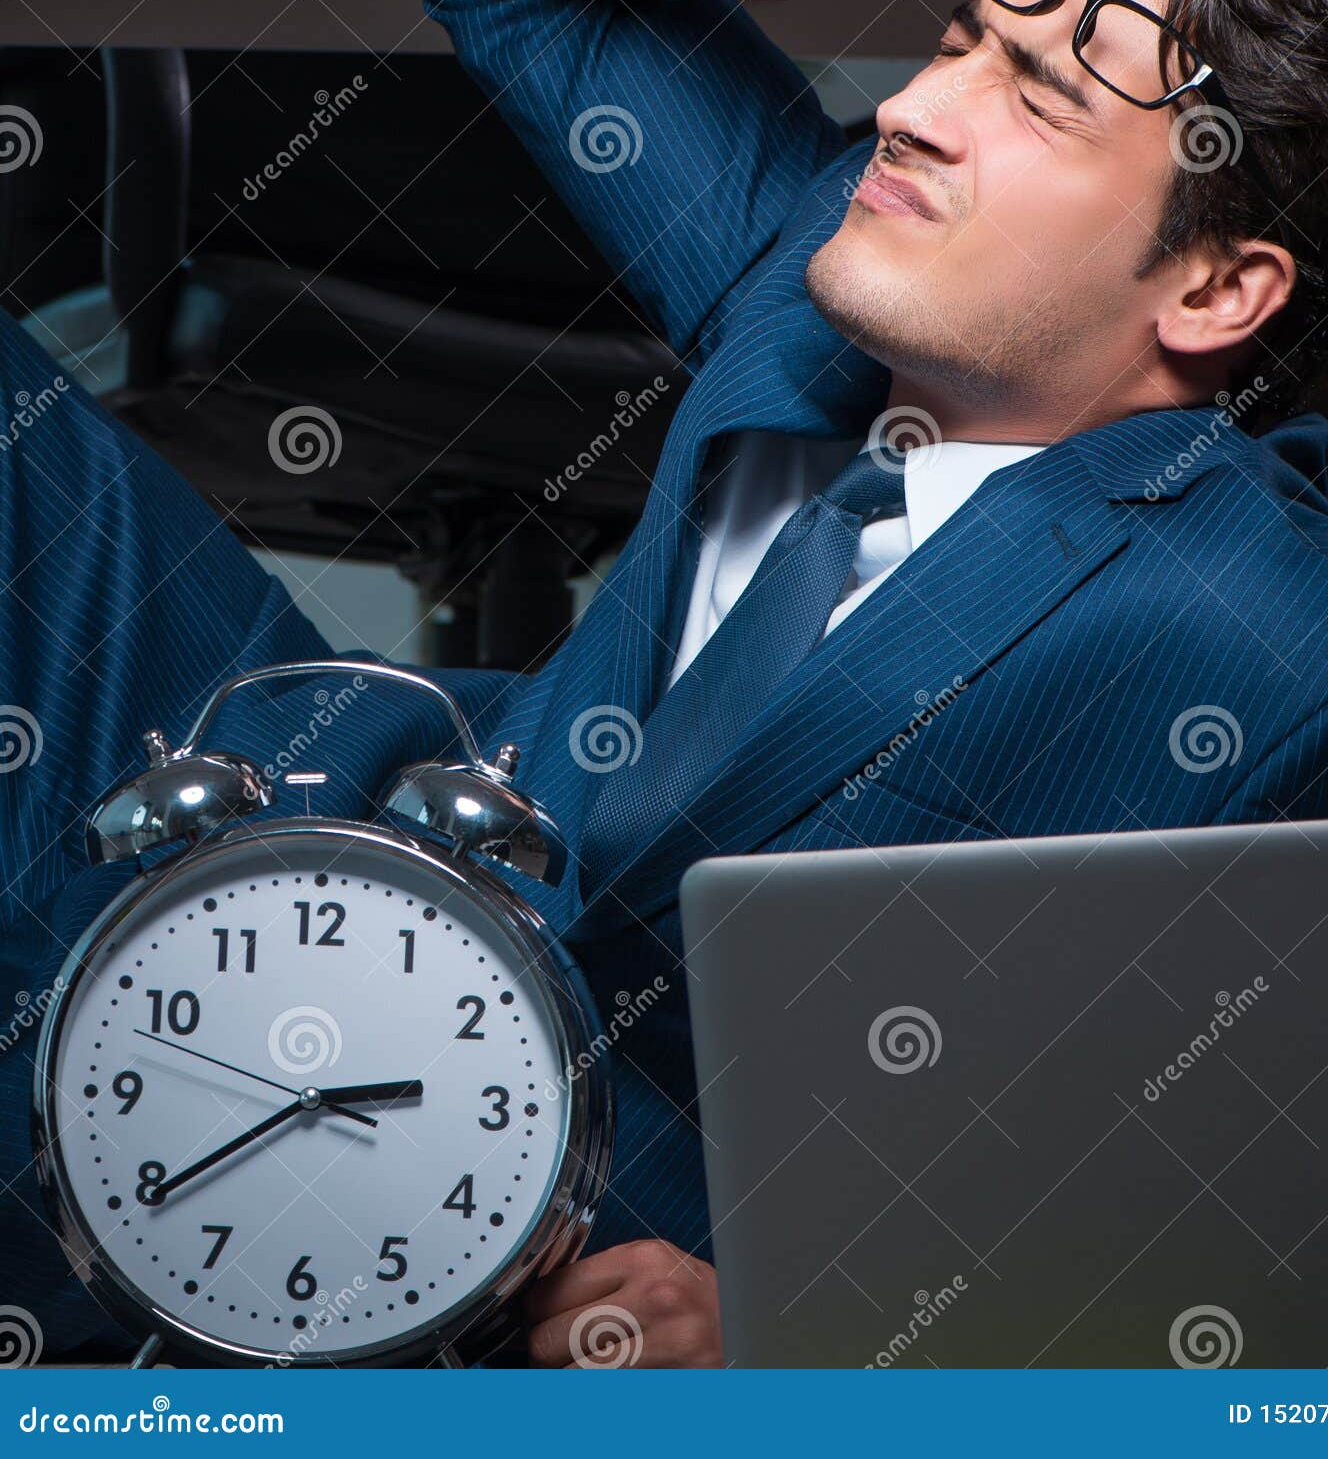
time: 2:39
